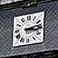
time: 3:12
